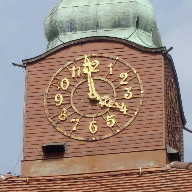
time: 3:58
